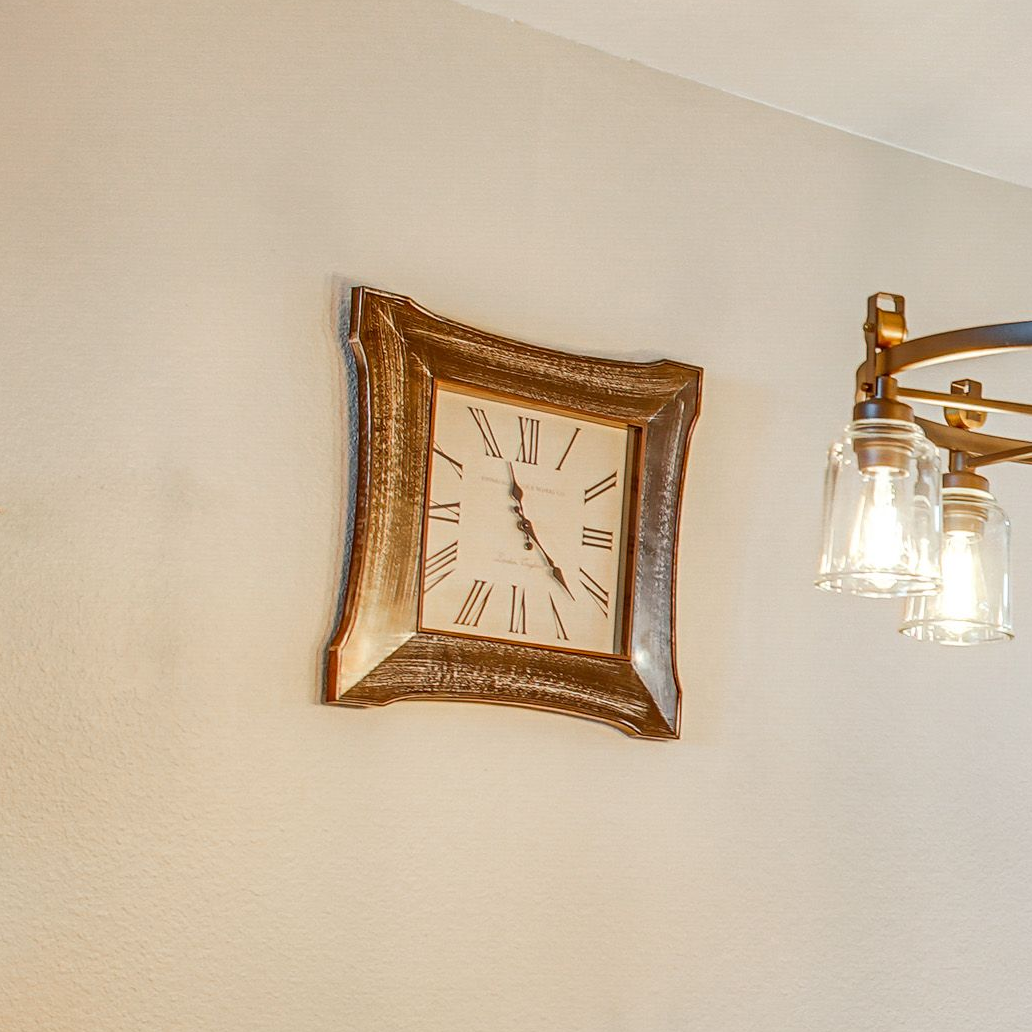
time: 11:21
